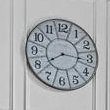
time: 8:16
